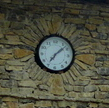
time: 7:08
